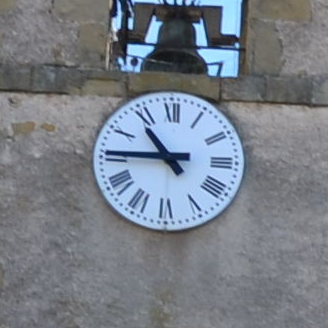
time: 10:45
